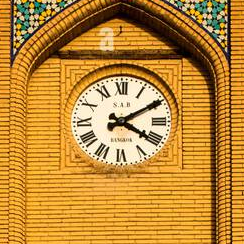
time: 4:09
